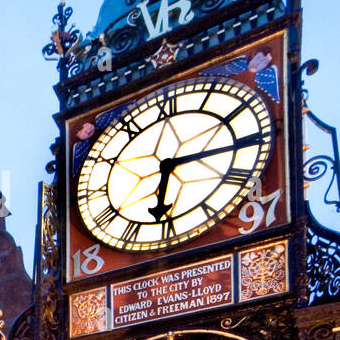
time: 6:14
